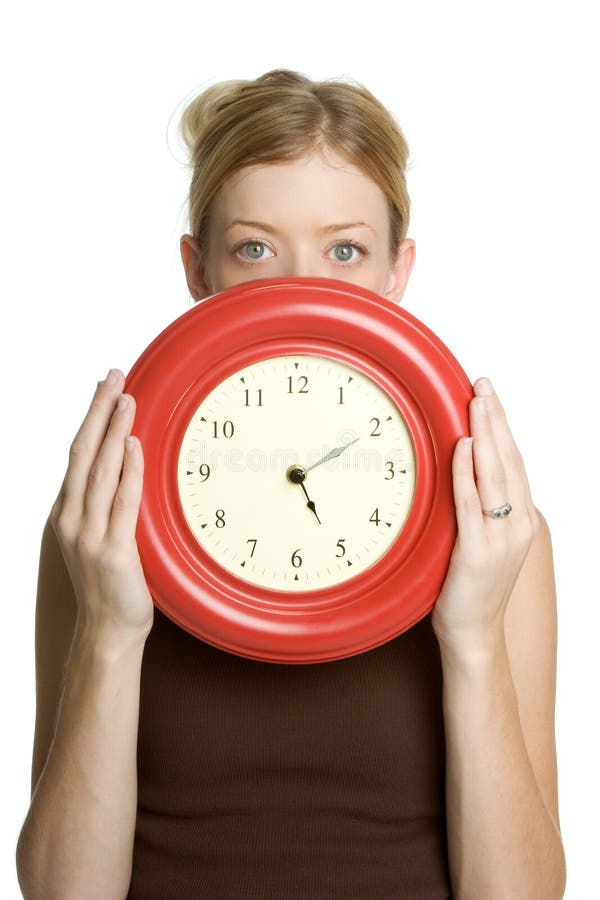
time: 5:09
